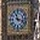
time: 11:17
